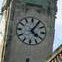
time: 4:04
